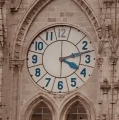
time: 4:12
